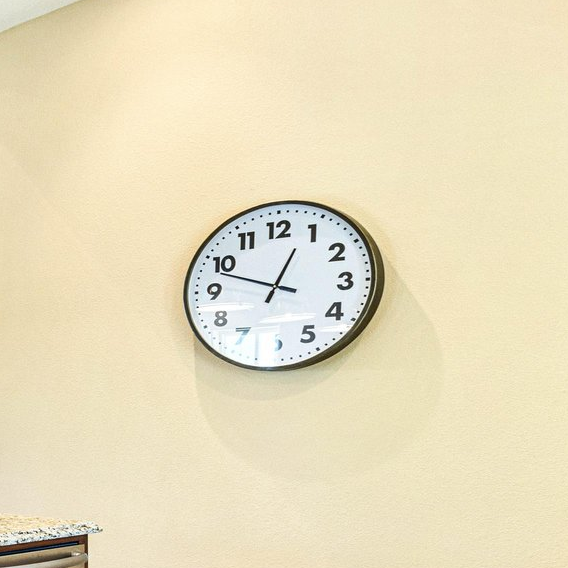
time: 12:48
